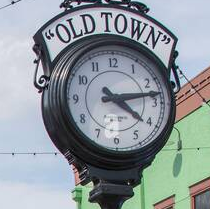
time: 4:13
